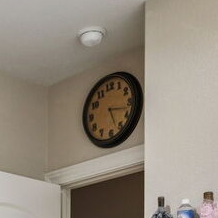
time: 5:17
